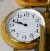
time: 9:47
